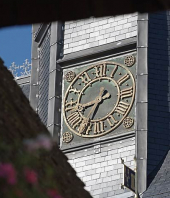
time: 8:34
